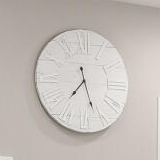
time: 7:26
